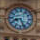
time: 8:26
